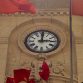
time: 3:00
